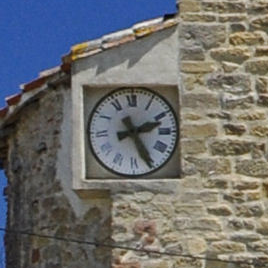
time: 2:25
